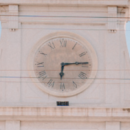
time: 6:14
